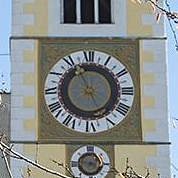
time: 4:56
